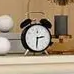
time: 2:30
